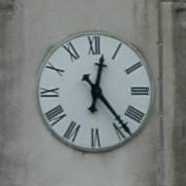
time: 12:23
